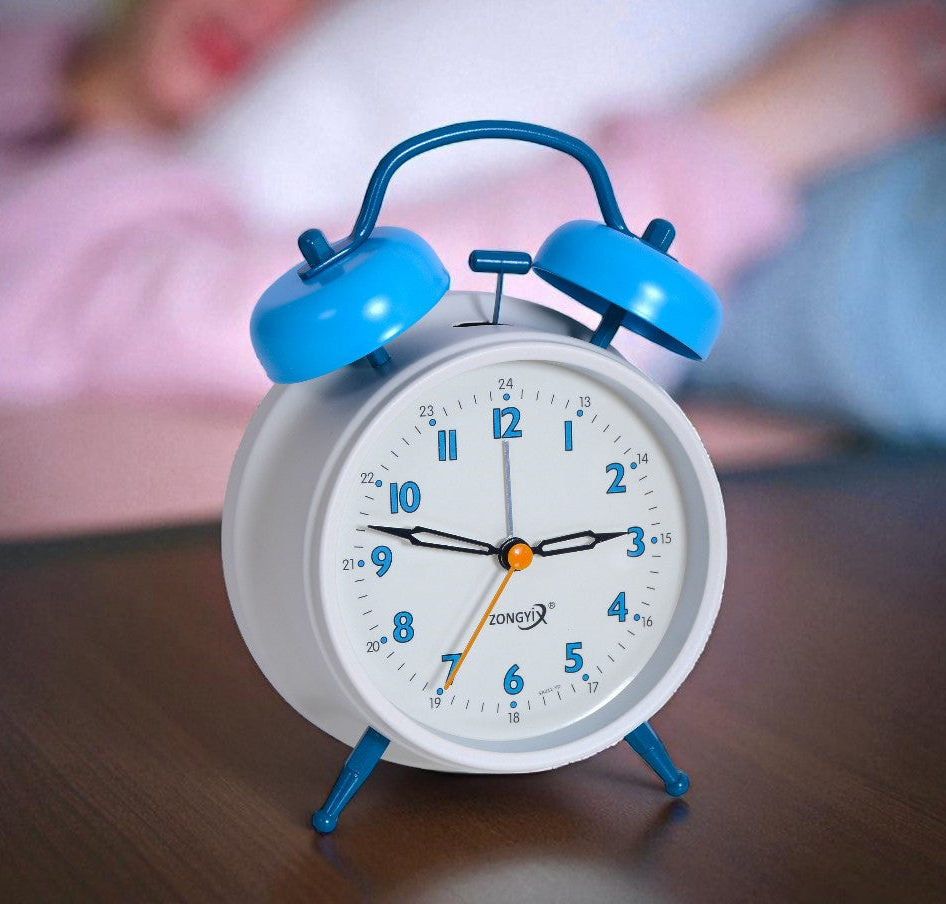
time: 2:47
